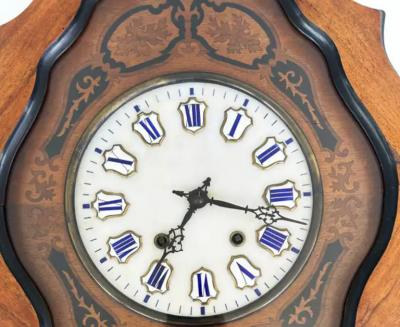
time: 7:17
